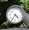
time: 4:35
